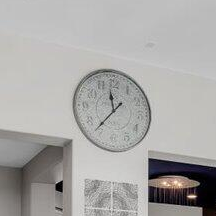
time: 11:37
